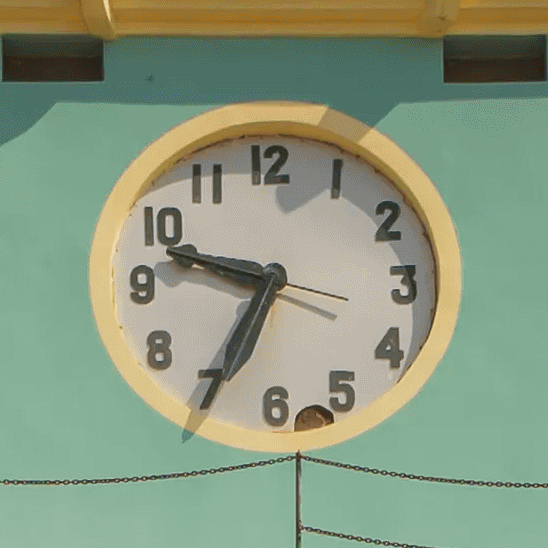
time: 9:34
